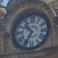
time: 10:34
